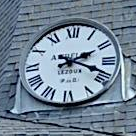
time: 2:18
